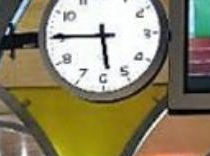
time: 5:45
